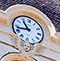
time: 10:42
